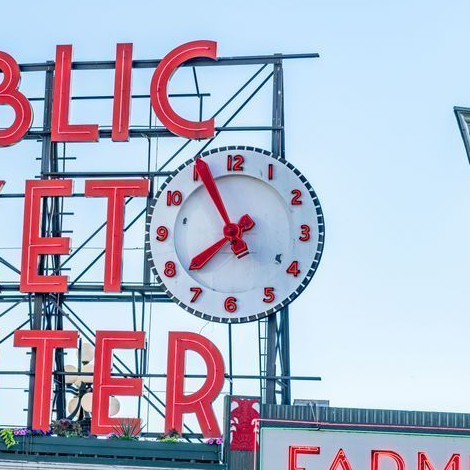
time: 7:55
